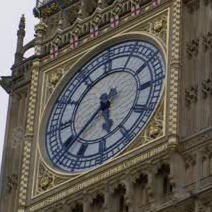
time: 5:38
